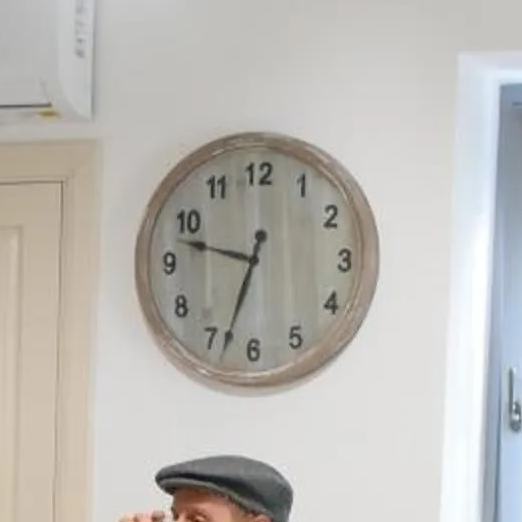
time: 9:33
